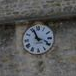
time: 3:56
